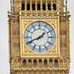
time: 1:41
